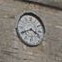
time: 3:40
